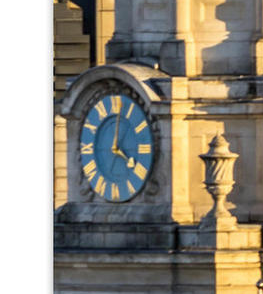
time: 4:01
